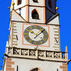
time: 10:07
